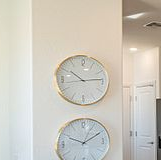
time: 10:13
